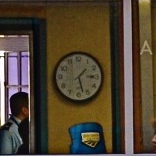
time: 1:27
